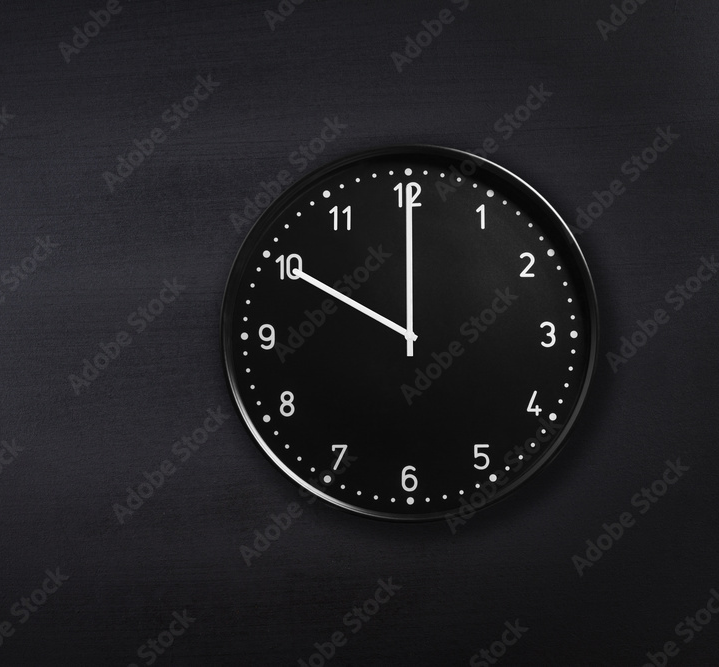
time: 10:00
